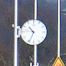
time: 10:33
